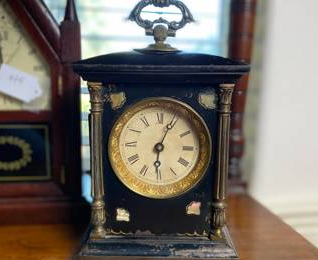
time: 6:03
